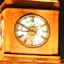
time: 8:49
